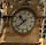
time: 10:38
